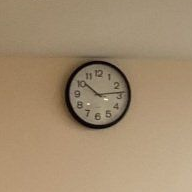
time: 10:13
